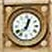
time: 12:37
